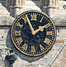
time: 1:56
